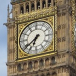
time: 6:38
